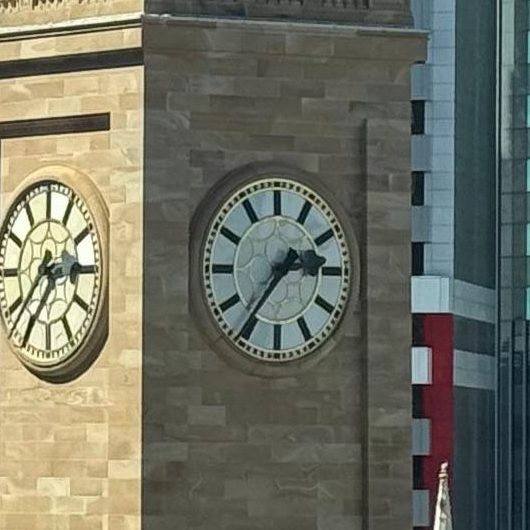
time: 2:36
